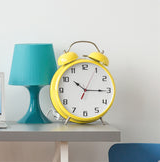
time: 10:15
